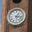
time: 1:16
